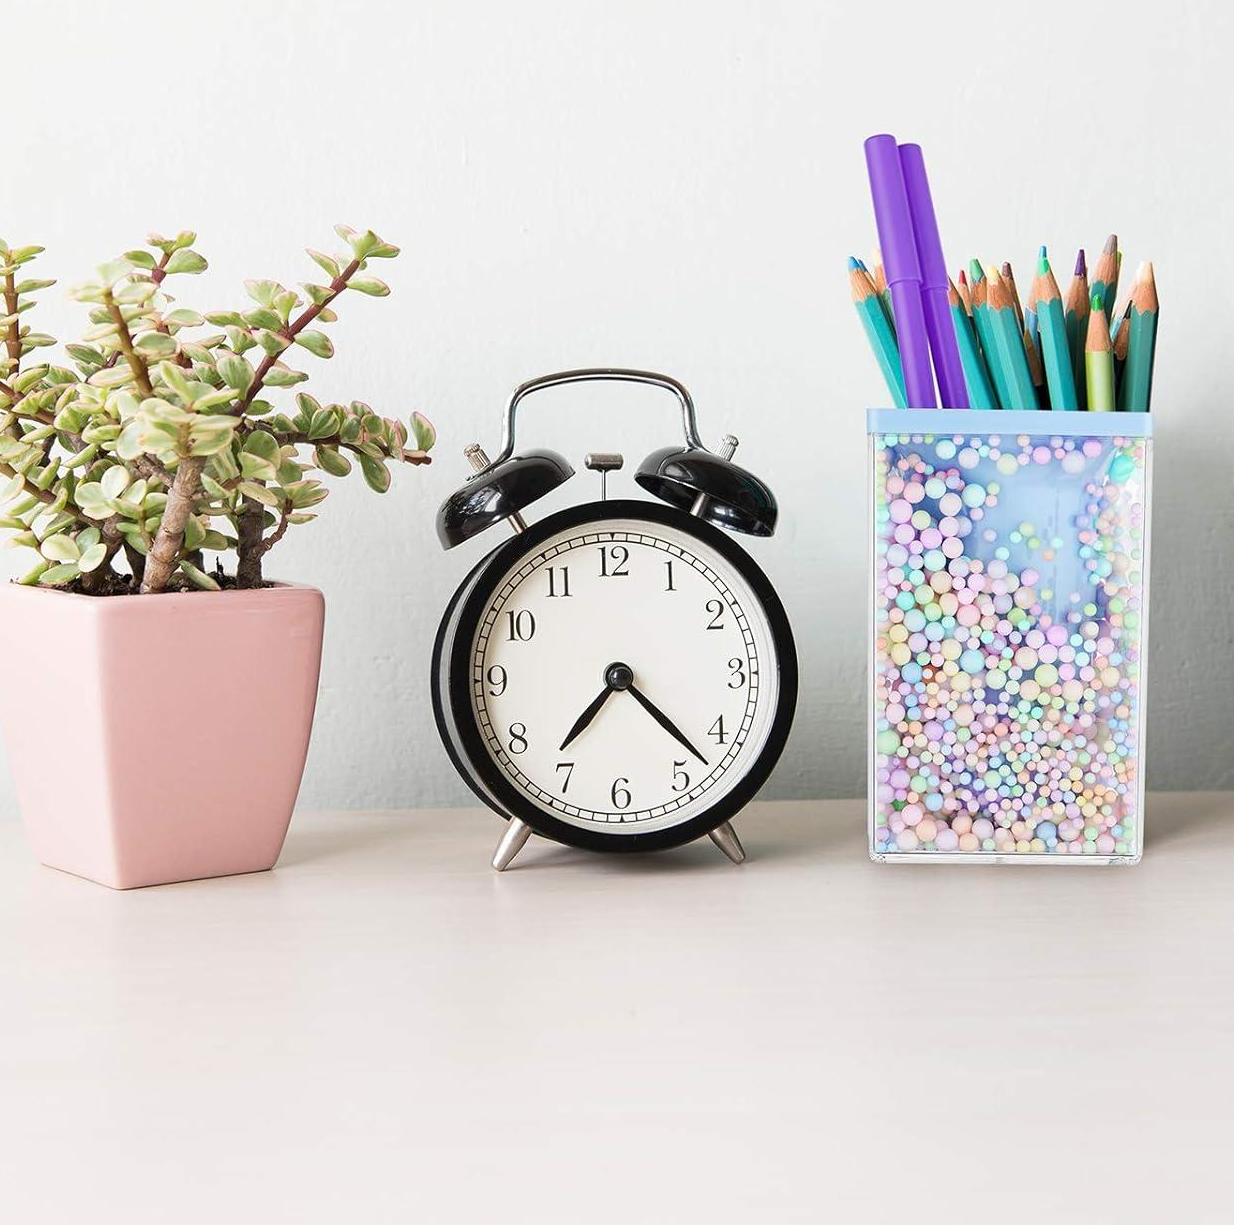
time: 7:22
